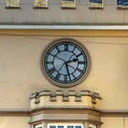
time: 2:27
